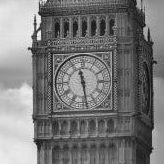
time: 11:28
